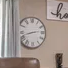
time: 2:42
